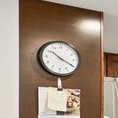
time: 10:19
